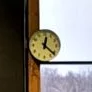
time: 12:21
